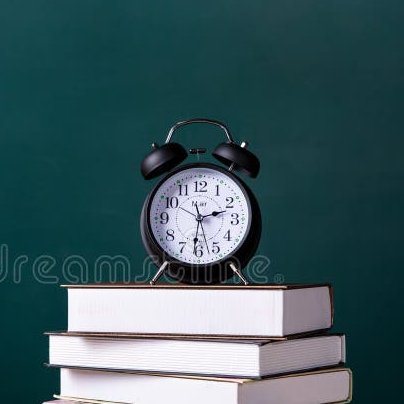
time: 2:31
